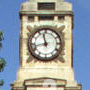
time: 11:42
